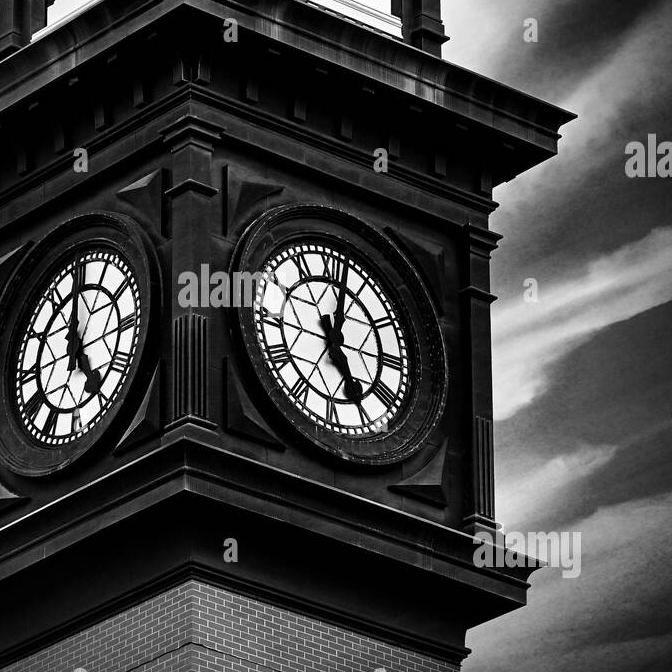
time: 5:01
